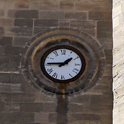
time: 1:45
